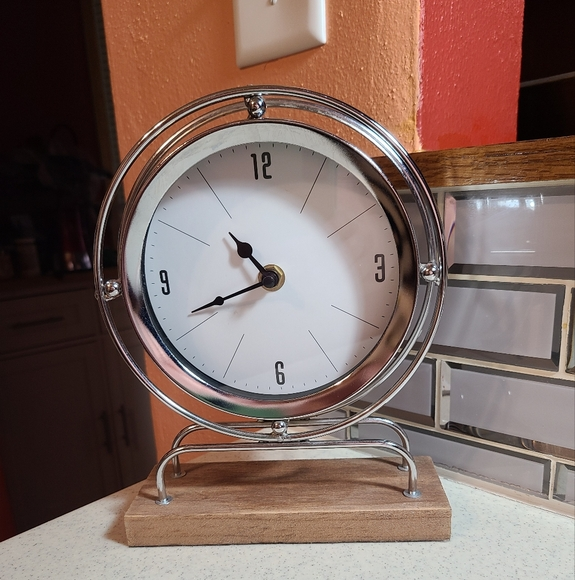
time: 10:41
